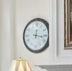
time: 12:16
